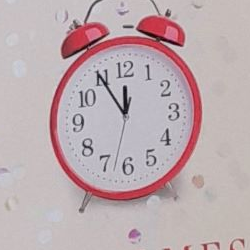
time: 11:54
